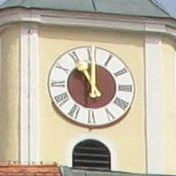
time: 11:00
